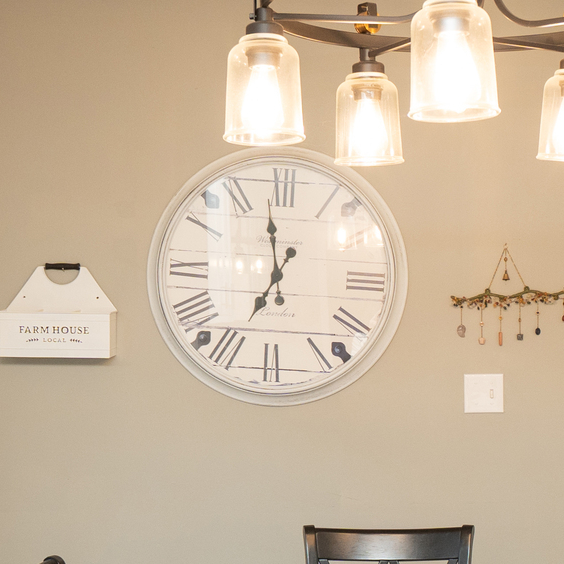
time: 6:58
